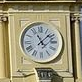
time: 11:07
